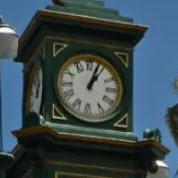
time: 1:03
